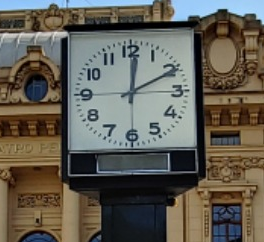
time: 12:10
